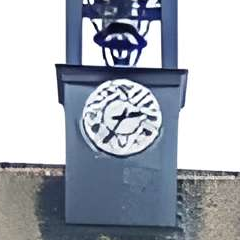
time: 2:35
